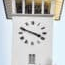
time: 3:48
